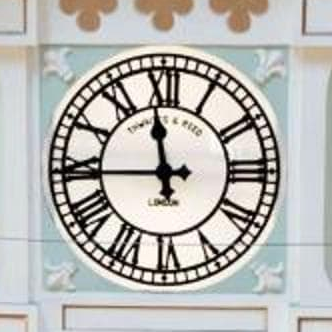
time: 11:44
